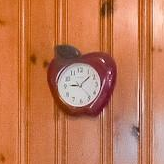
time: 9:08
